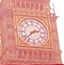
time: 2:38
